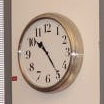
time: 10:24
